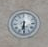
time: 6:29
